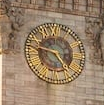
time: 4:46
